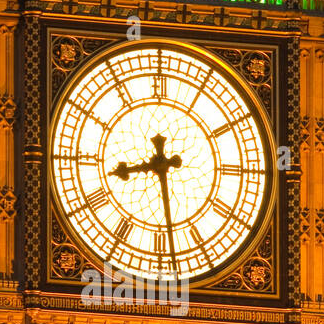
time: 8:28
